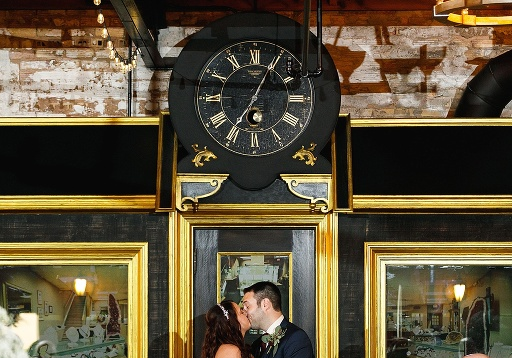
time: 7:04
